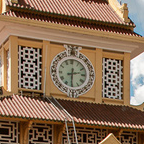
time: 2:30
